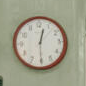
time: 12:30
